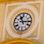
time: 11:14
